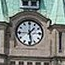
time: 1:28
